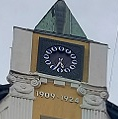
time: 5:33
